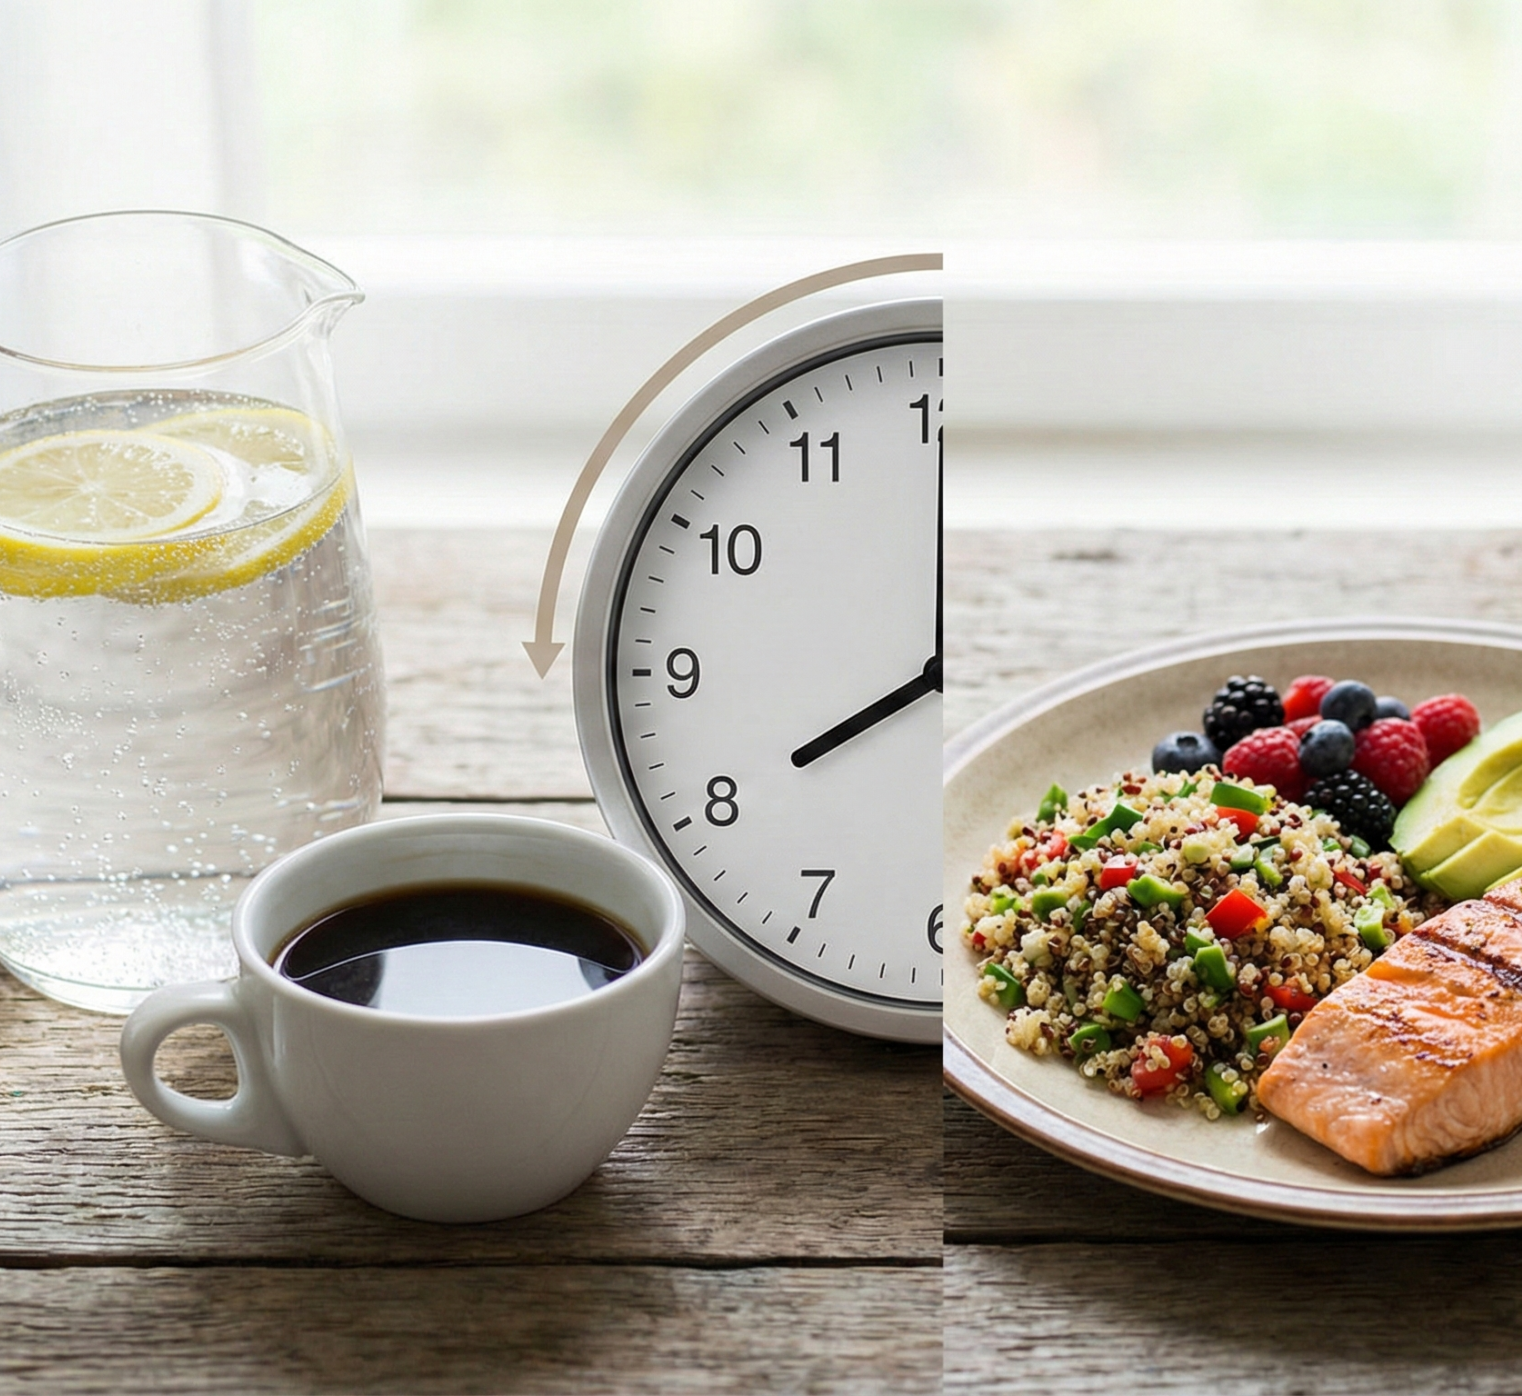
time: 8:00
